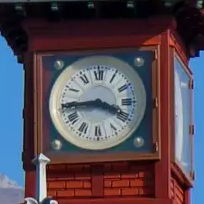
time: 3:44
